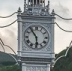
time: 5:54
